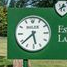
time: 5:38
